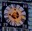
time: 11:46
